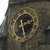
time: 2:26
